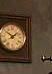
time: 1:50
